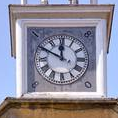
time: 11:49
